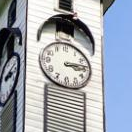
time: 3:13
